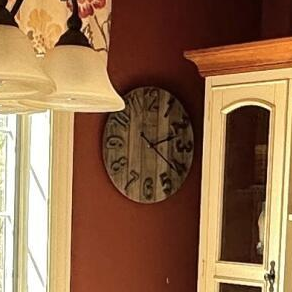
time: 2:21
